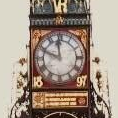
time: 11:48
